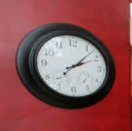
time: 2:07
